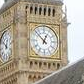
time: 12:52
